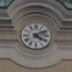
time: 4:10
